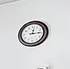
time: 12:14
